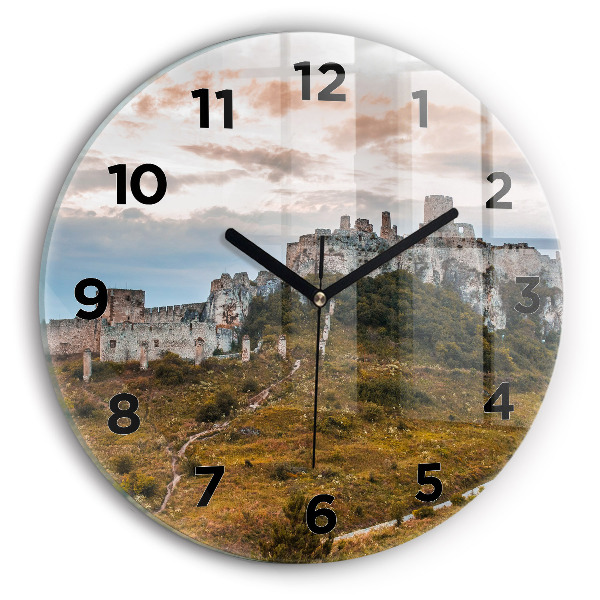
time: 10:10
